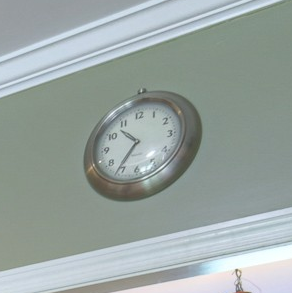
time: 10:36
